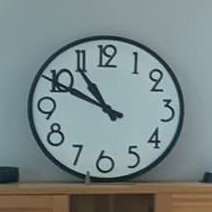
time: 10:49
